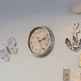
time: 2:25
